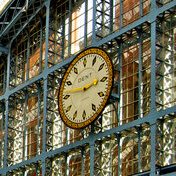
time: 2:46
